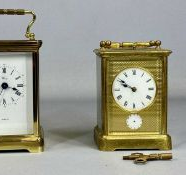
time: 9:50
